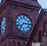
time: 7:15
